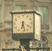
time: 6:27
